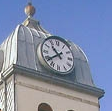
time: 10:38
